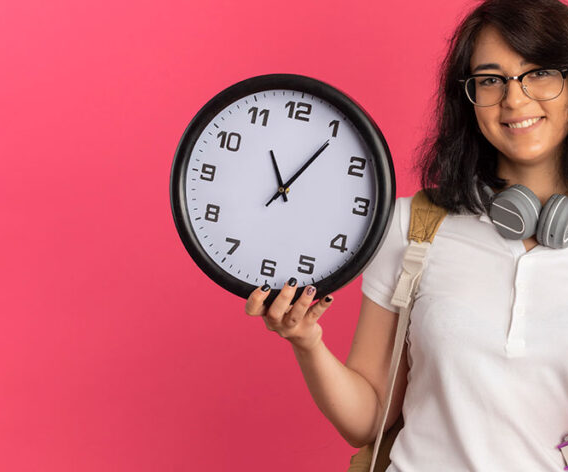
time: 11:05
